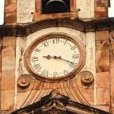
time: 9:19
